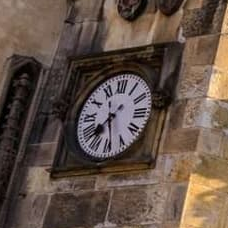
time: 7:28
